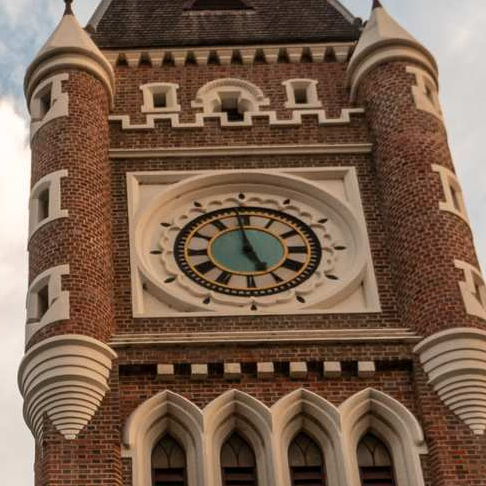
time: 4:59
